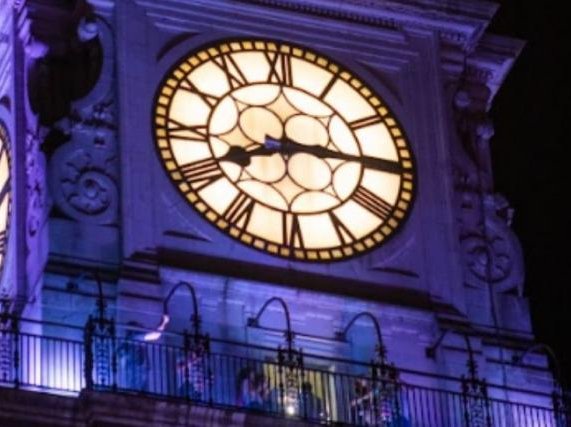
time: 8:14
